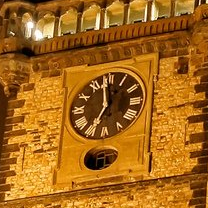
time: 6:58
